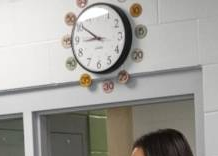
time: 8:50
